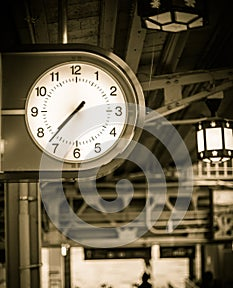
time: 7:37
